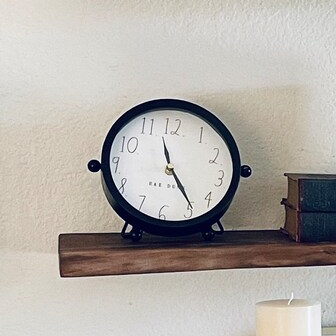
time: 11:24
